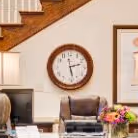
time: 2:28
